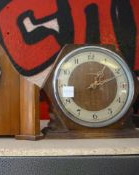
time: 1:11
